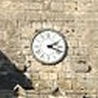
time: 2:18
